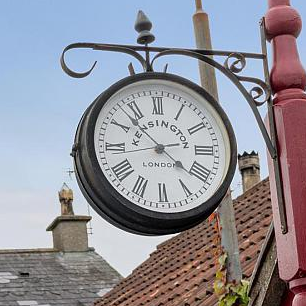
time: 2:21
